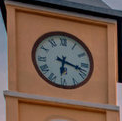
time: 6:17
